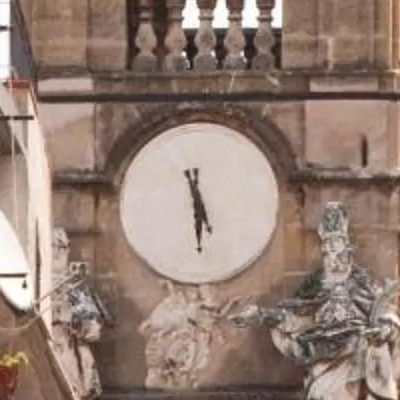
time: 5:29
